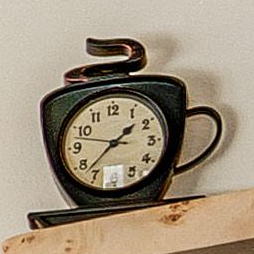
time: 1:37
